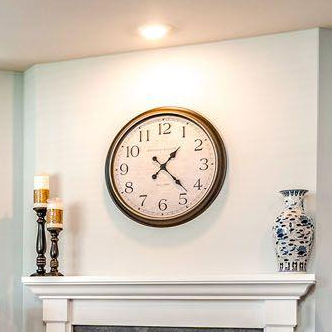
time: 1:22
